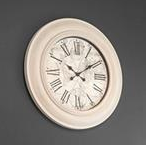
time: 10:09
